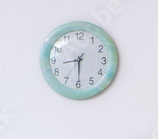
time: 8:29
